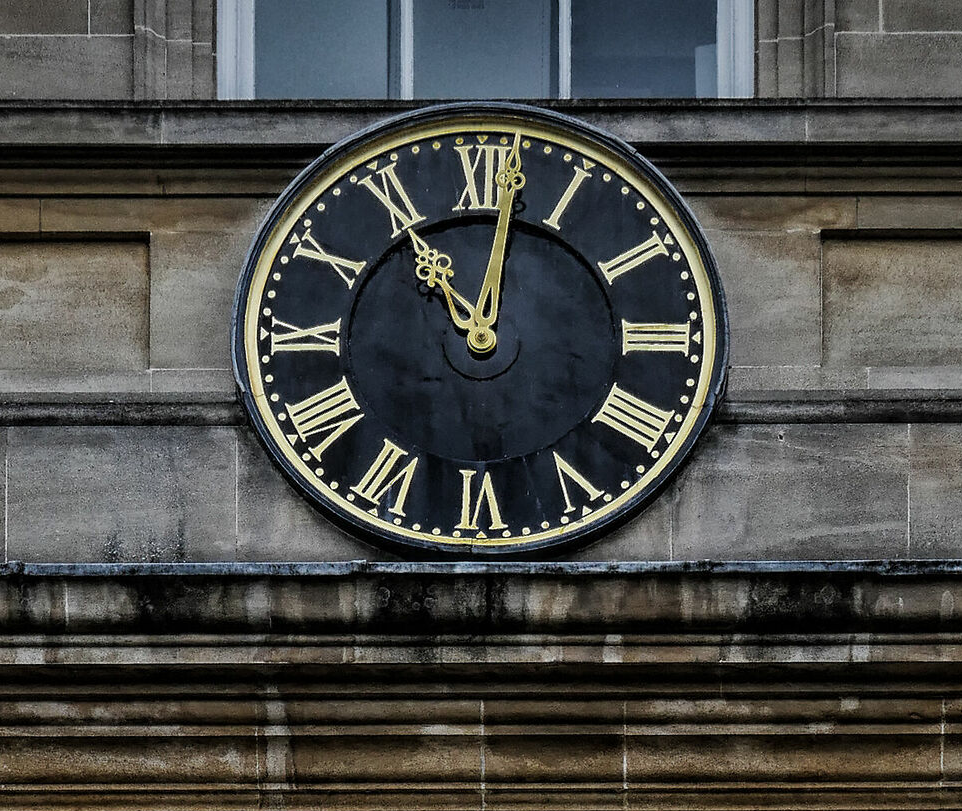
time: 11:02
